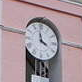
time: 3:58
